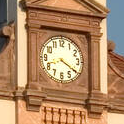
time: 8:20
